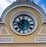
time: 11:47
